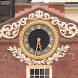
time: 5:31
